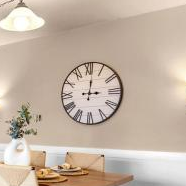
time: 3:01
